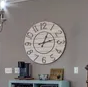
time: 1:12
